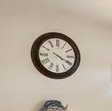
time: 4:19
